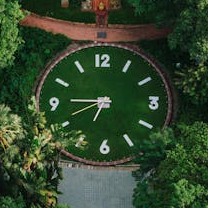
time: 6:45
